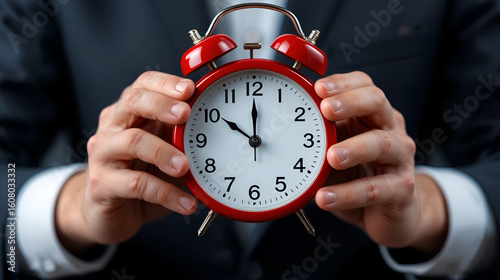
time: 10:00
